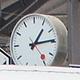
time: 1:14
